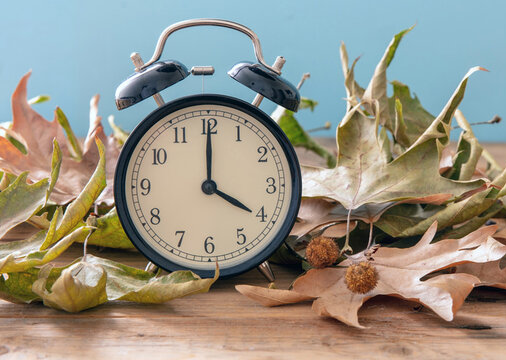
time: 4:00
